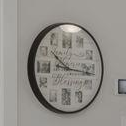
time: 10:16
